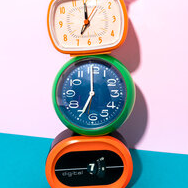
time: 6:59
